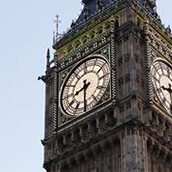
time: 8:30
